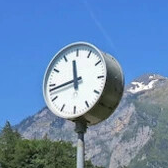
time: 11:43
